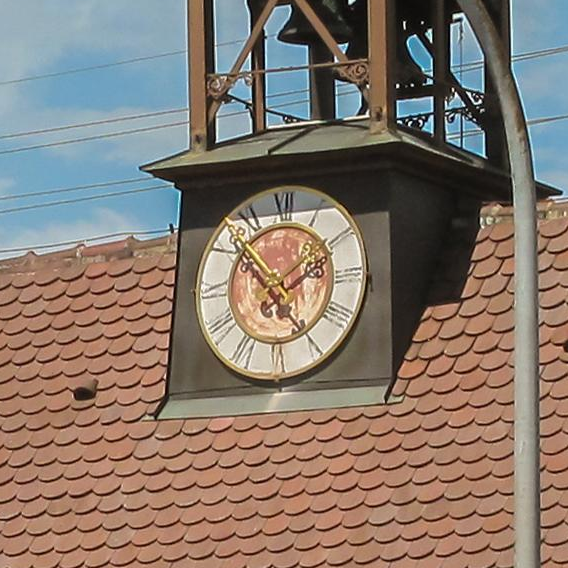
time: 4:52
